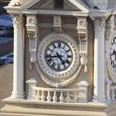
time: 4:42
